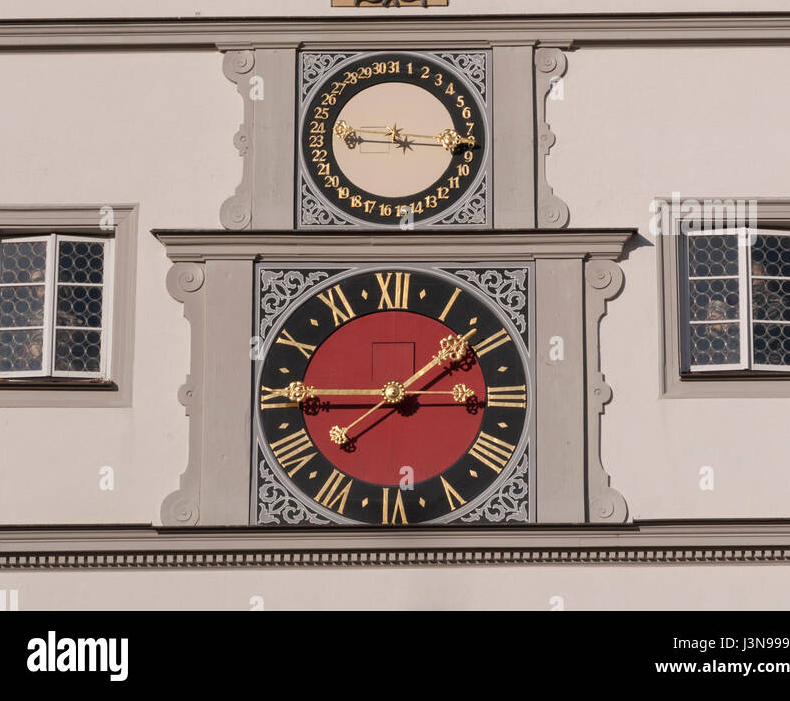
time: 1:44
